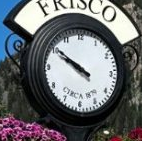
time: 9:50
